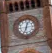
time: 12:33
